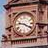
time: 9:20
